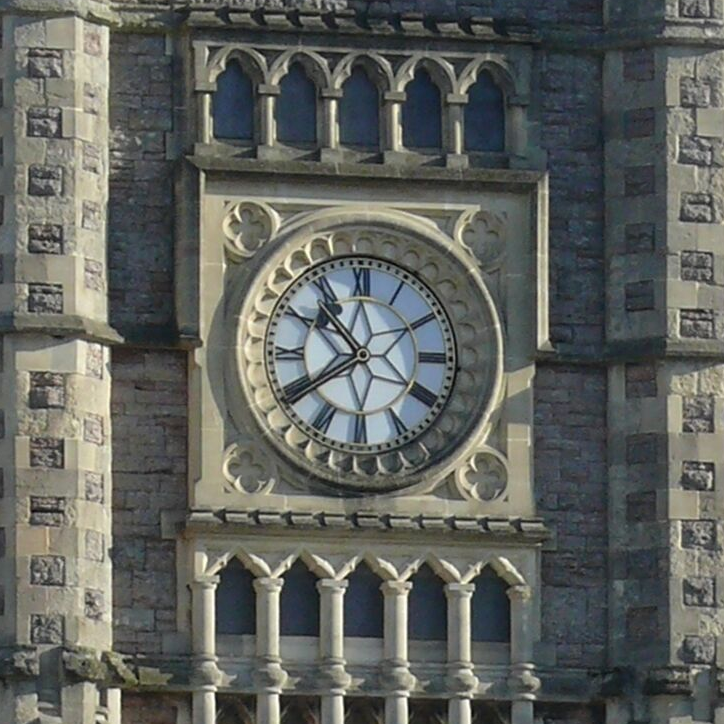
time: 10:39
